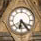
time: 6:23
